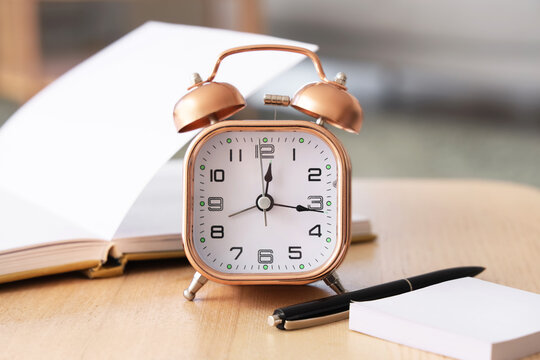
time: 12:16
